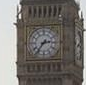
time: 2:36
